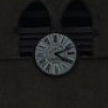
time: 4:11
